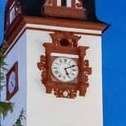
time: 5:11
